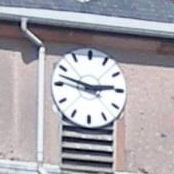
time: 2:47
